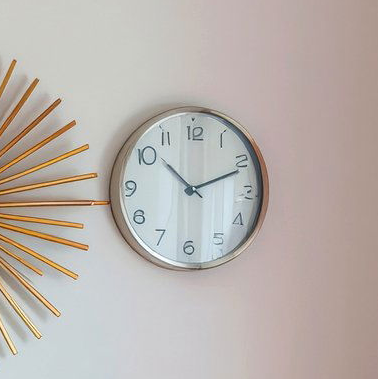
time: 10:11
